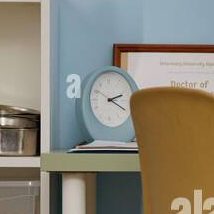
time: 2:18
